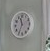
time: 11:35
